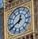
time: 12:40
